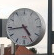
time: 4:43
